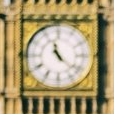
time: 11:22
